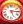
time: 5:15
